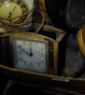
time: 11:49
